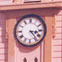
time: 3:23
